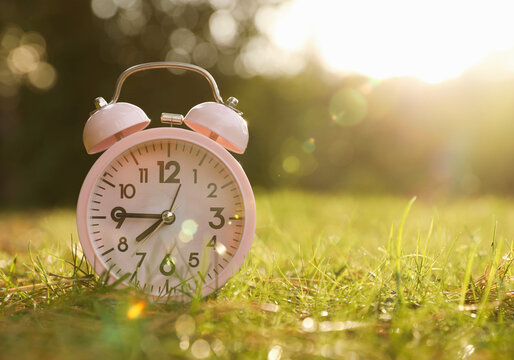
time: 7:45
